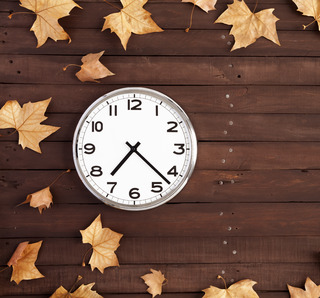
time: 7:22
